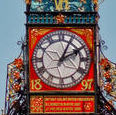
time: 2:04
